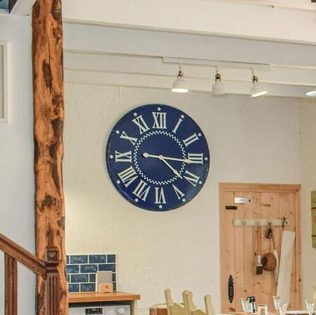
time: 4:15
